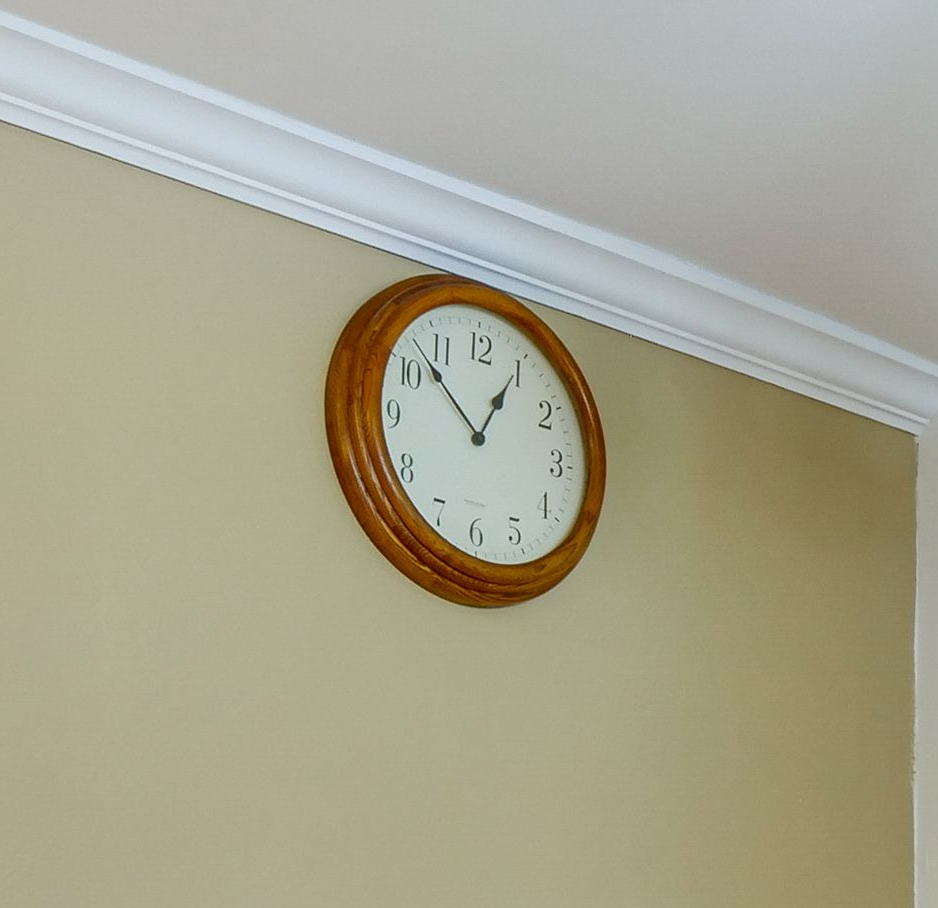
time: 12:52
